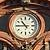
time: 10:45
